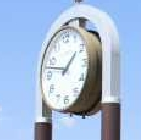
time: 1:47
